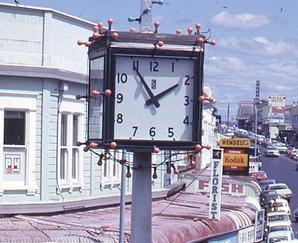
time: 1:54
